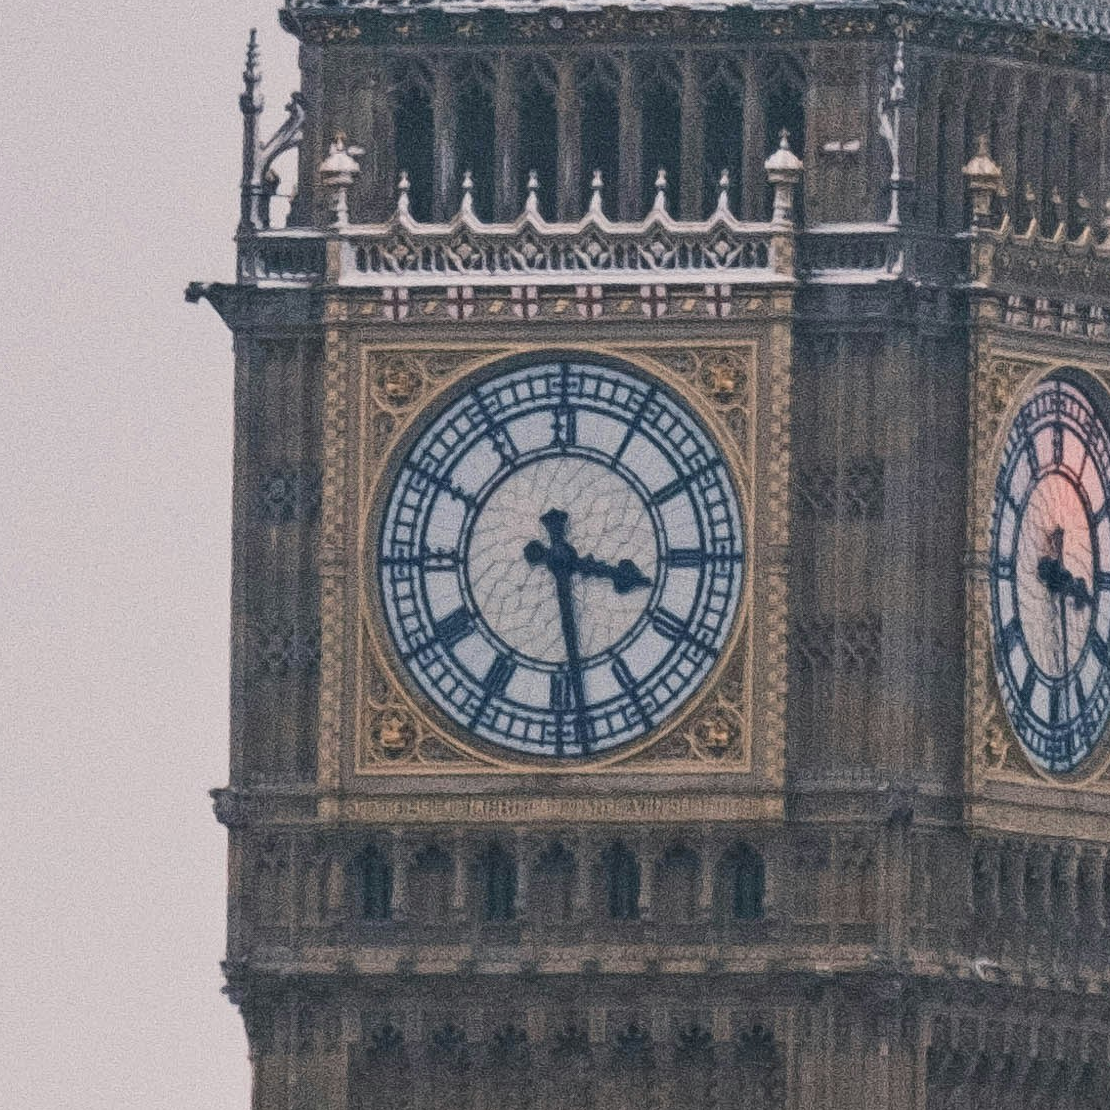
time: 3:28
